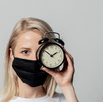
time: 1:51
